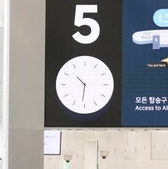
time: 10:31
